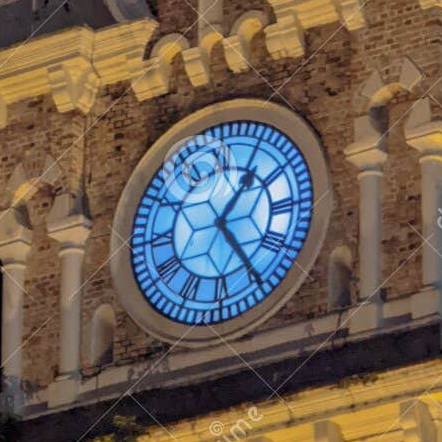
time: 1:24
